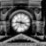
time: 9:17
